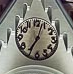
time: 7:03
